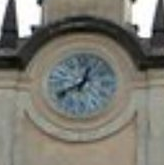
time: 12:40
